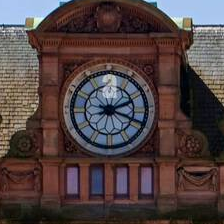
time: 2:18
